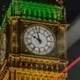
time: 9:57
